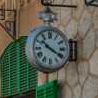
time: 10:20
